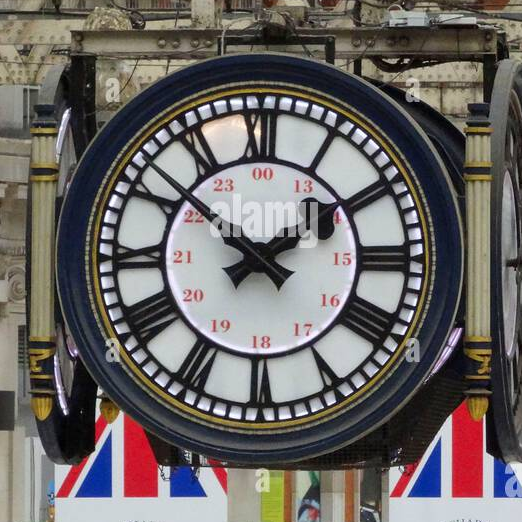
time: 1:51
